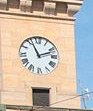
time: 11:11
